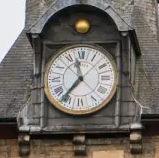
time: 11:36
